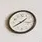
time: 1:39
